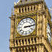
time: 3:13
